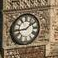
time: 1:43
